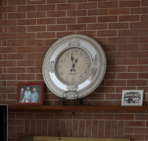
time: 12:58
